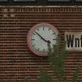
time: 3:52
